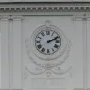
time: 2:11
